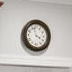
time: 3:57
